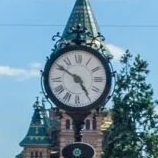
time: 4:50
